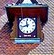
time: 11:42
